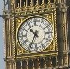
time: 10:34
